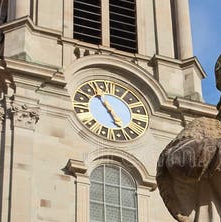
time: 4:54
